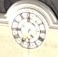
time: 4:35
